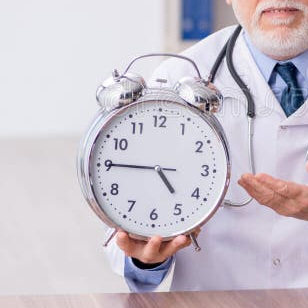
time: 4:45
